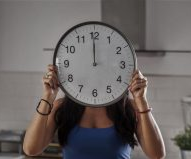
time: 11:59
